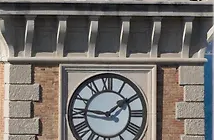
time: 1:46
